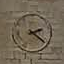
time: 2:21
